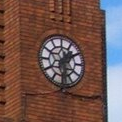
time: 1:28
